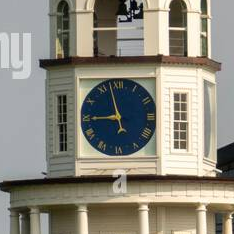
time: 8:57
